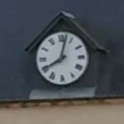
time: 8:02
